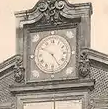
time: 4:50
